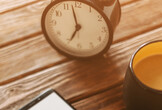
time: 6:57
